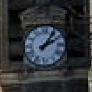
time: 2:06
